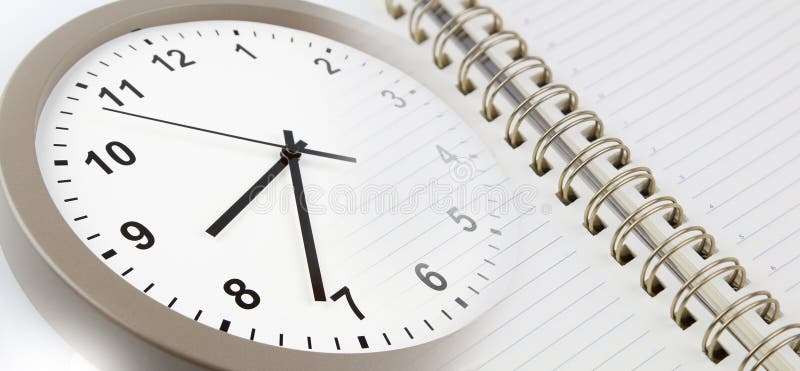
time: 7:31
